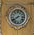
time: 7:40
